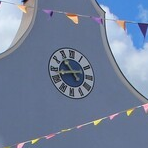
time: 10:42
